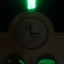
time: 2:58
